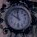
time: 11:50
